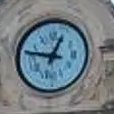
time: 12:47
